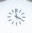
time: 3:58
